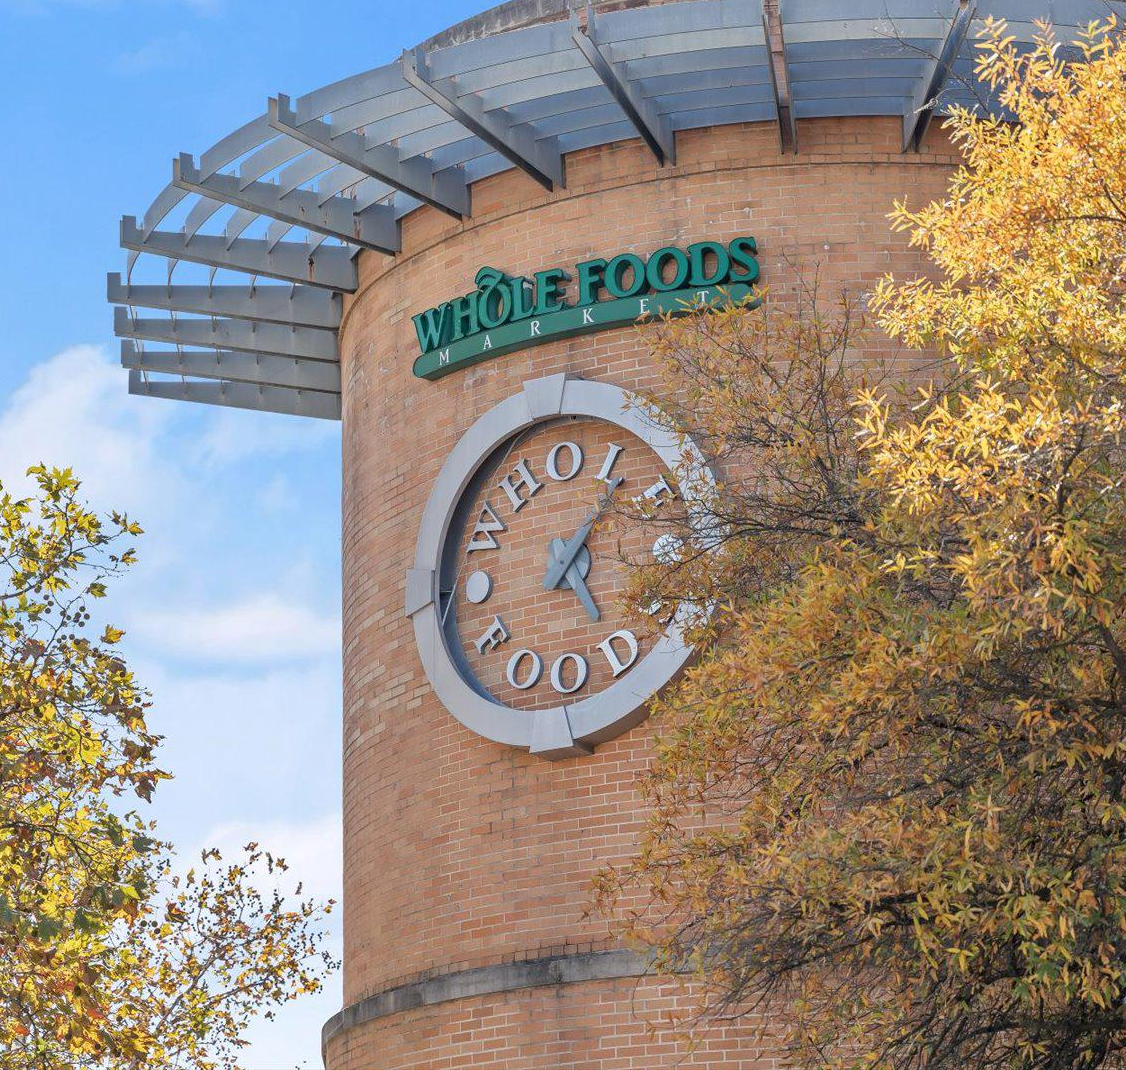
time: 5:05
